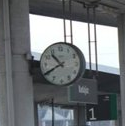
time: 10:40
